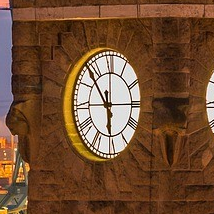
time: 5:53
